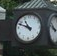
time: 10:48
